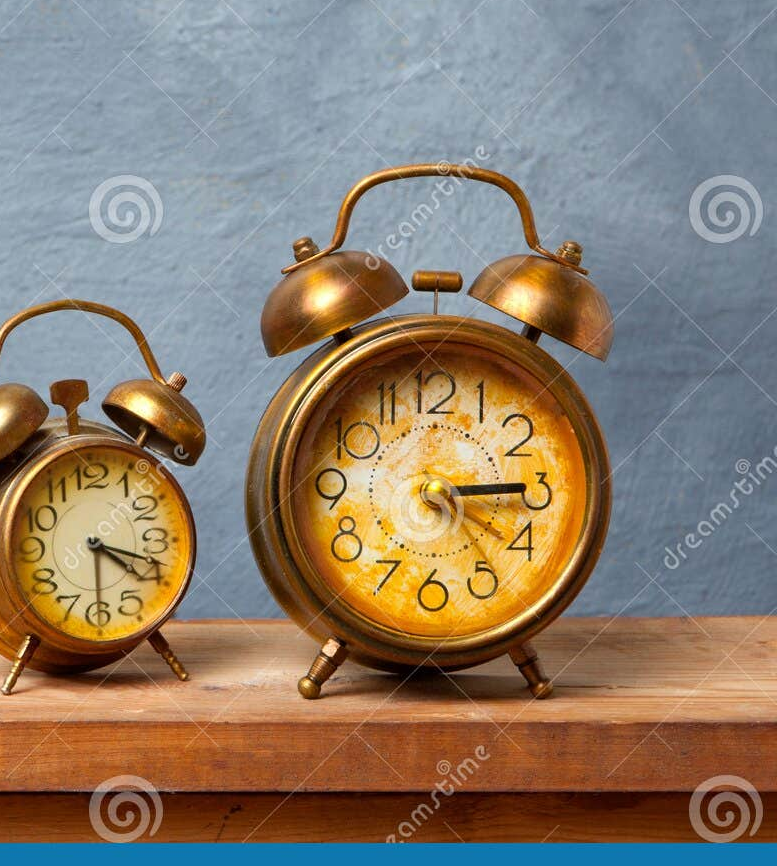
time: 3:14
